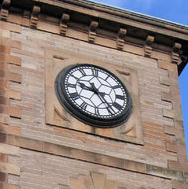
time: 9:23
